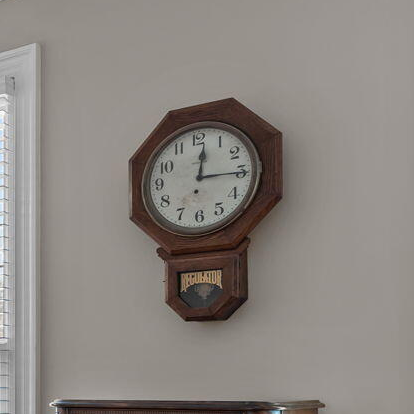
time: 12:14
